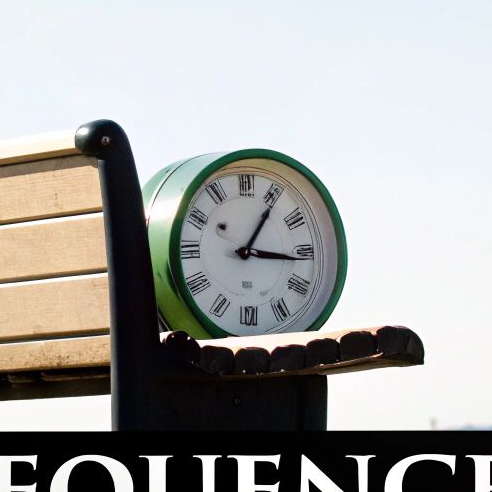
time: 3:05
